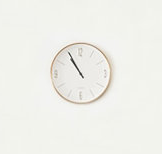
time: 10:55
